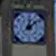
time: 12:07
